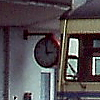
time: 2:58
